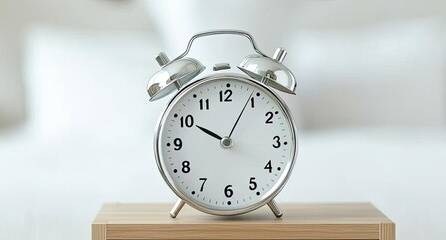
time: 10:04
